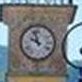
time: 9:57
